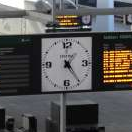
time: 1:24
